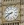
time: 8:39
